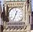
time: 12:33
